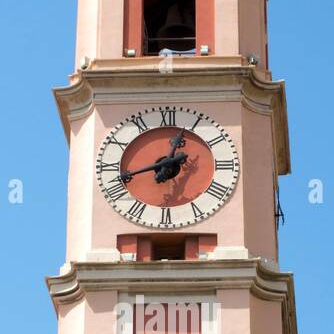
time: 12:42
